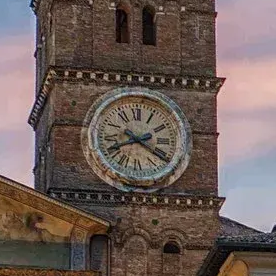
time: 8:20
